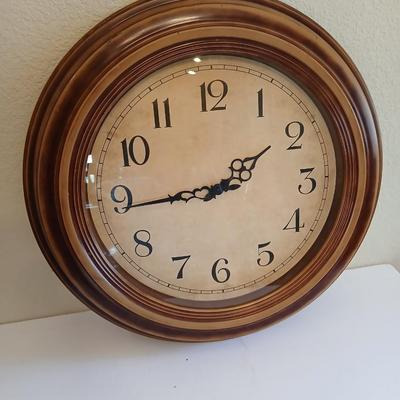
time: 1:44
